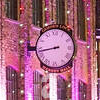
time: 8:43
